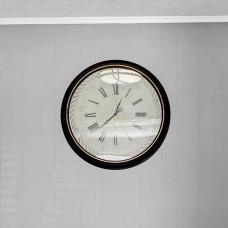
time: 12:38
